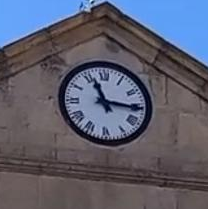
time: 11:15
